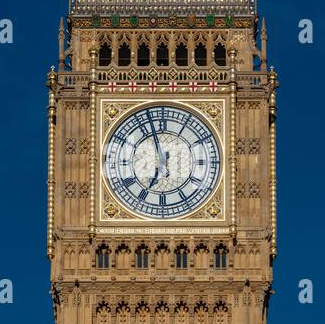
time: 6:57
